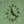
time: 11:21
